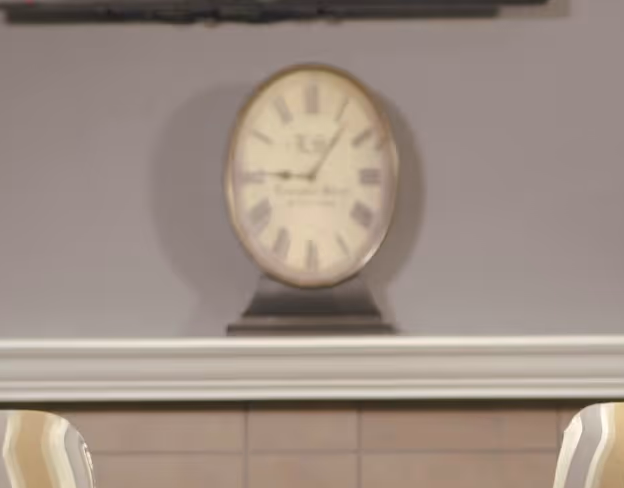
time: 9:06
